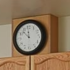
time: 11:52
